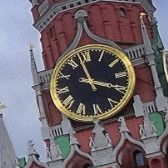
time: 3:58
